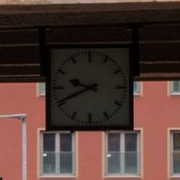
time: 9:41
